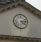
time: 4:13
